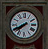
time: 7:40
